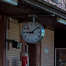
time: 9:08
